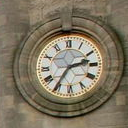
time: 2:35
